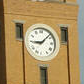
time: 9:07
